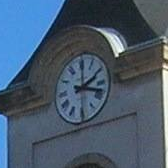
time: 2:18
